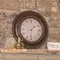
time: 1:31
